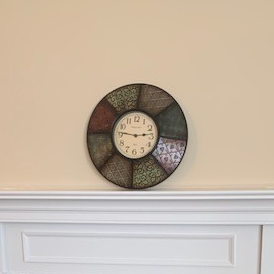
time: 2:46
